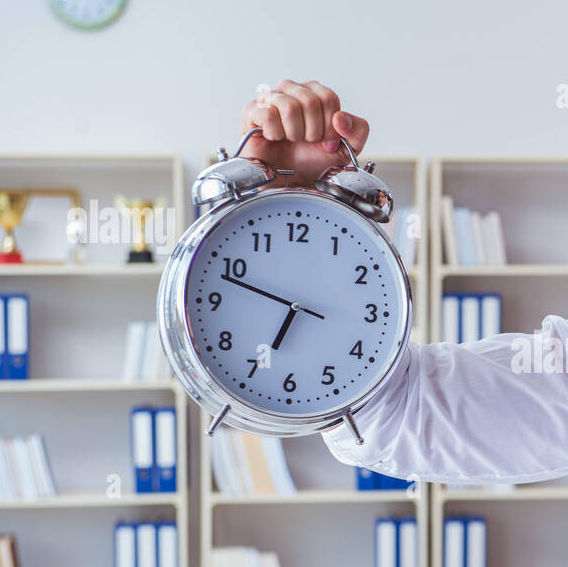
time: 6:48
